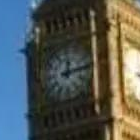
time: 12:13
